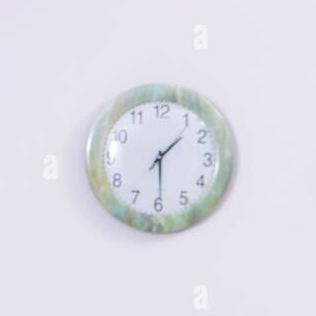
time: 1:29
